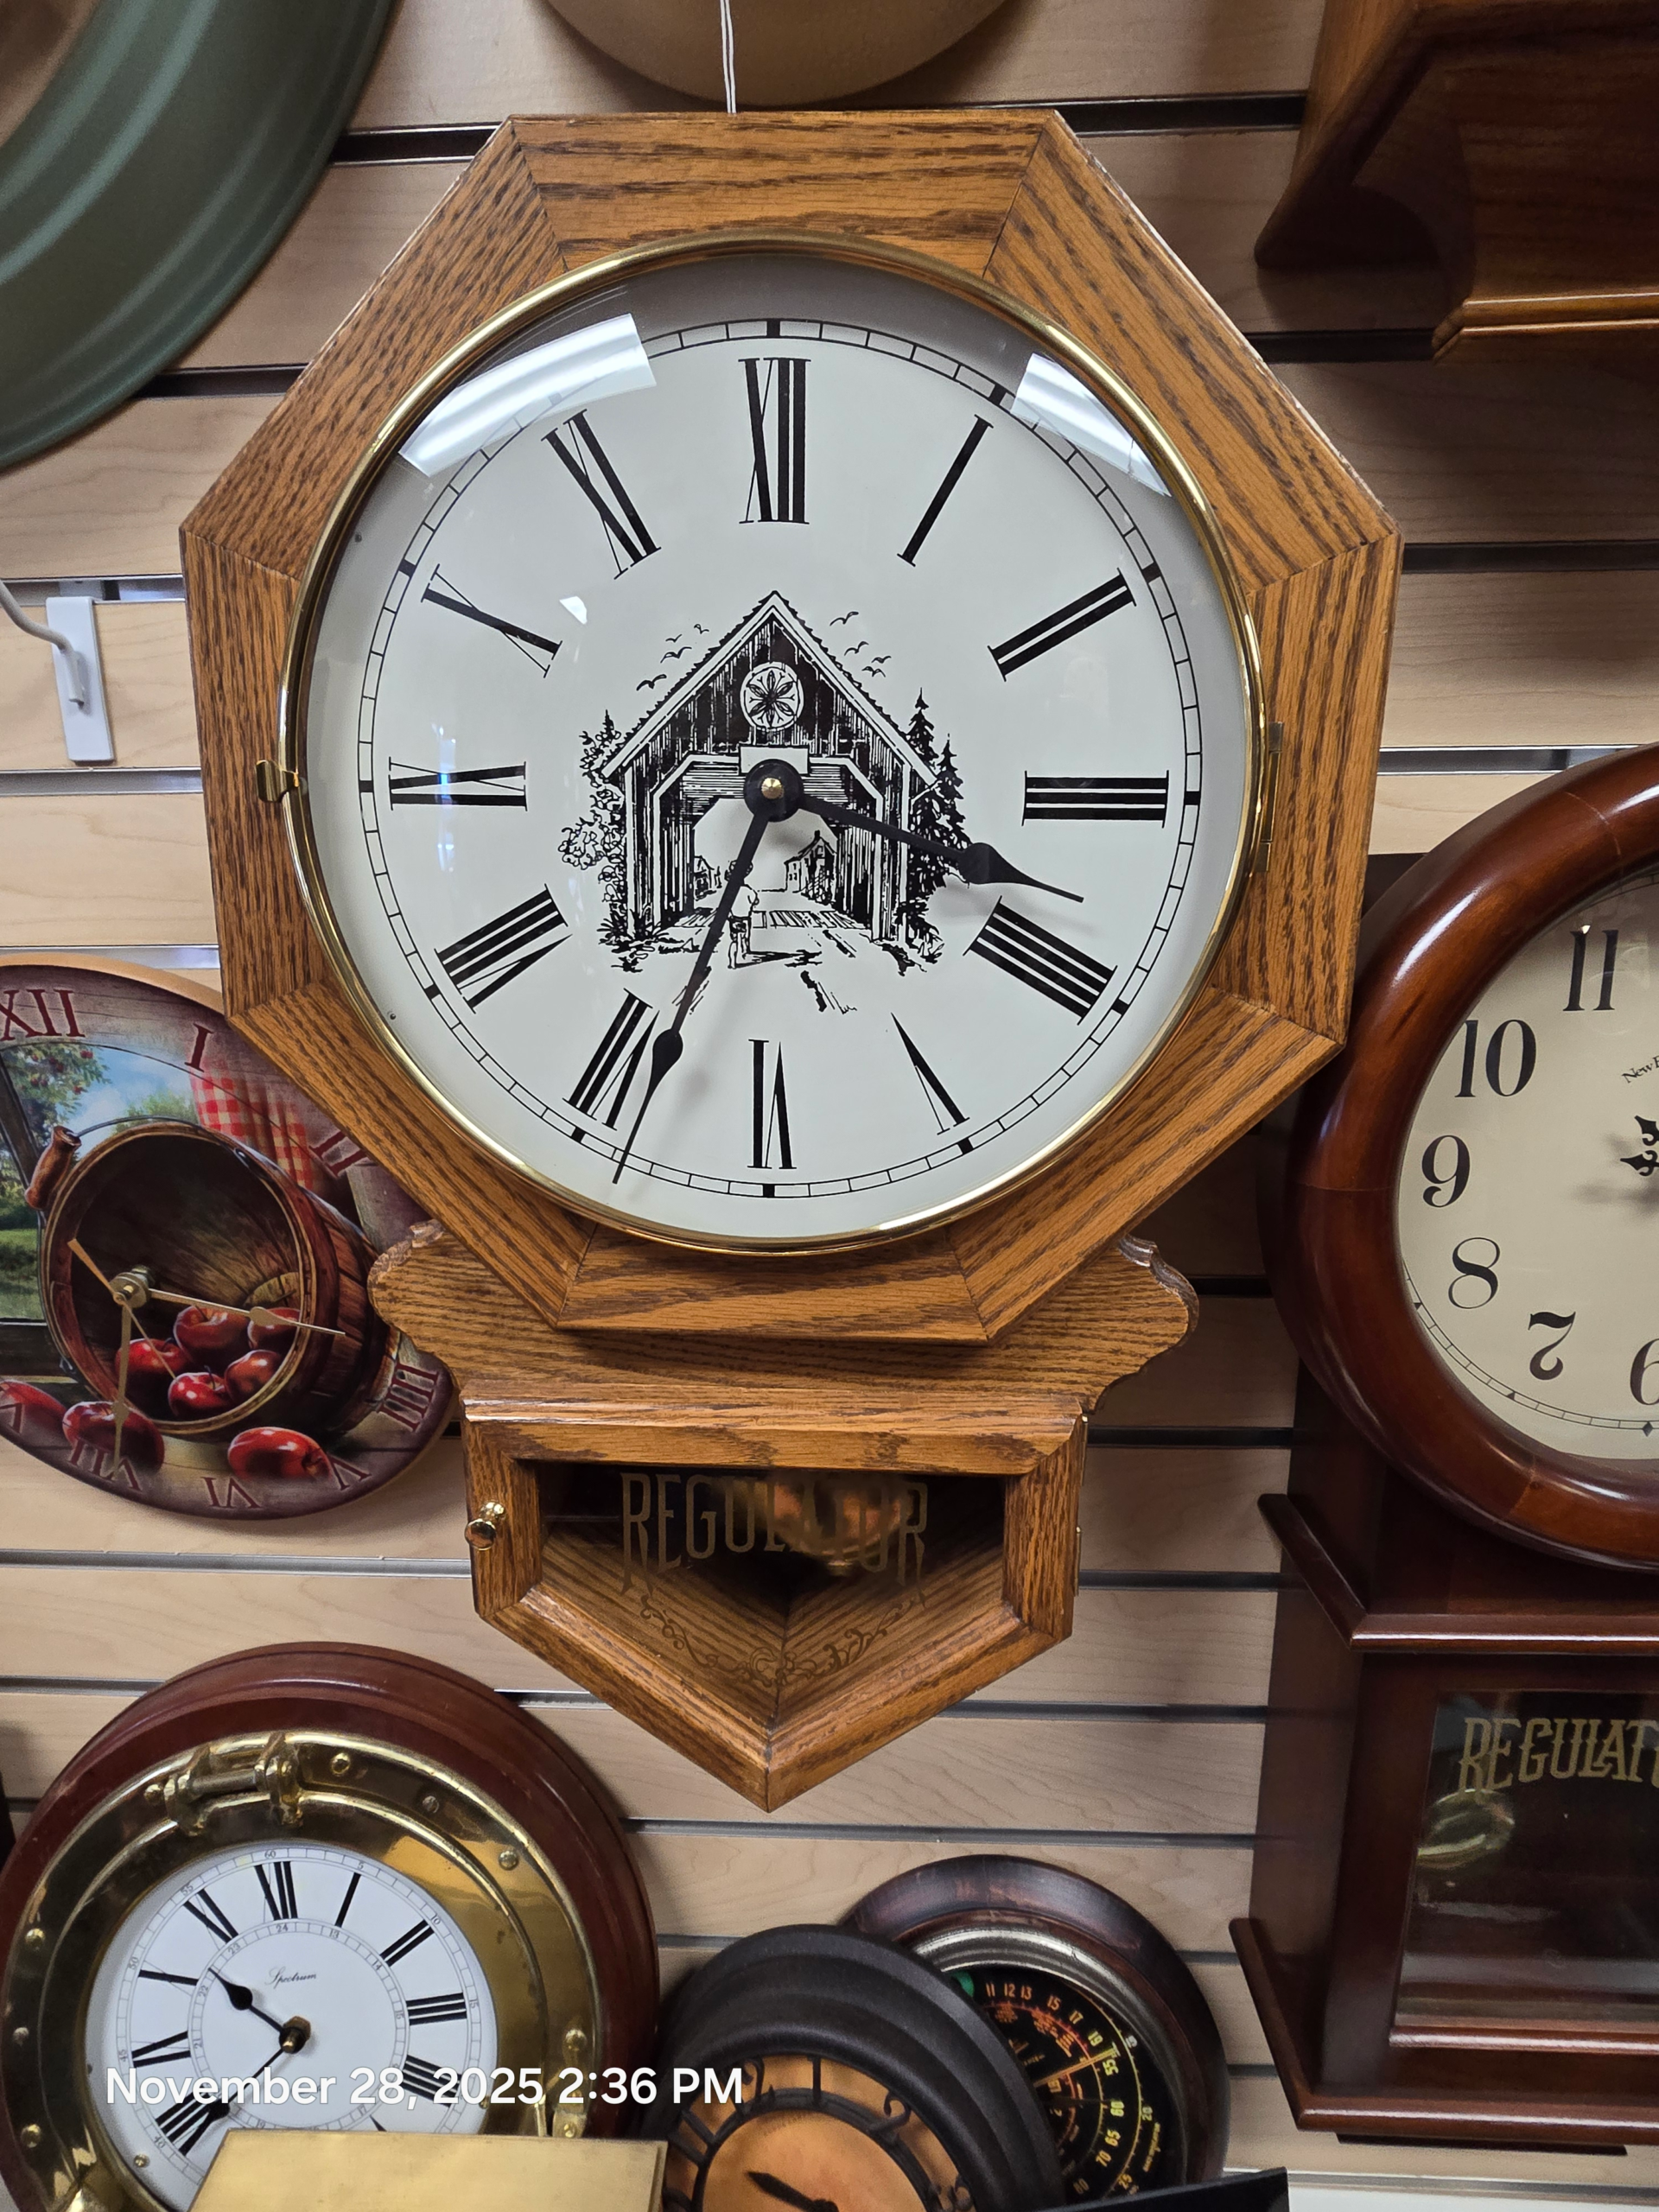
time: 3:33
